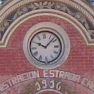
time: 10:07
